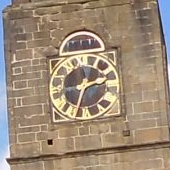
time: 2:32
